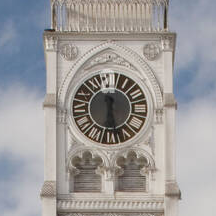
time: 12:28
